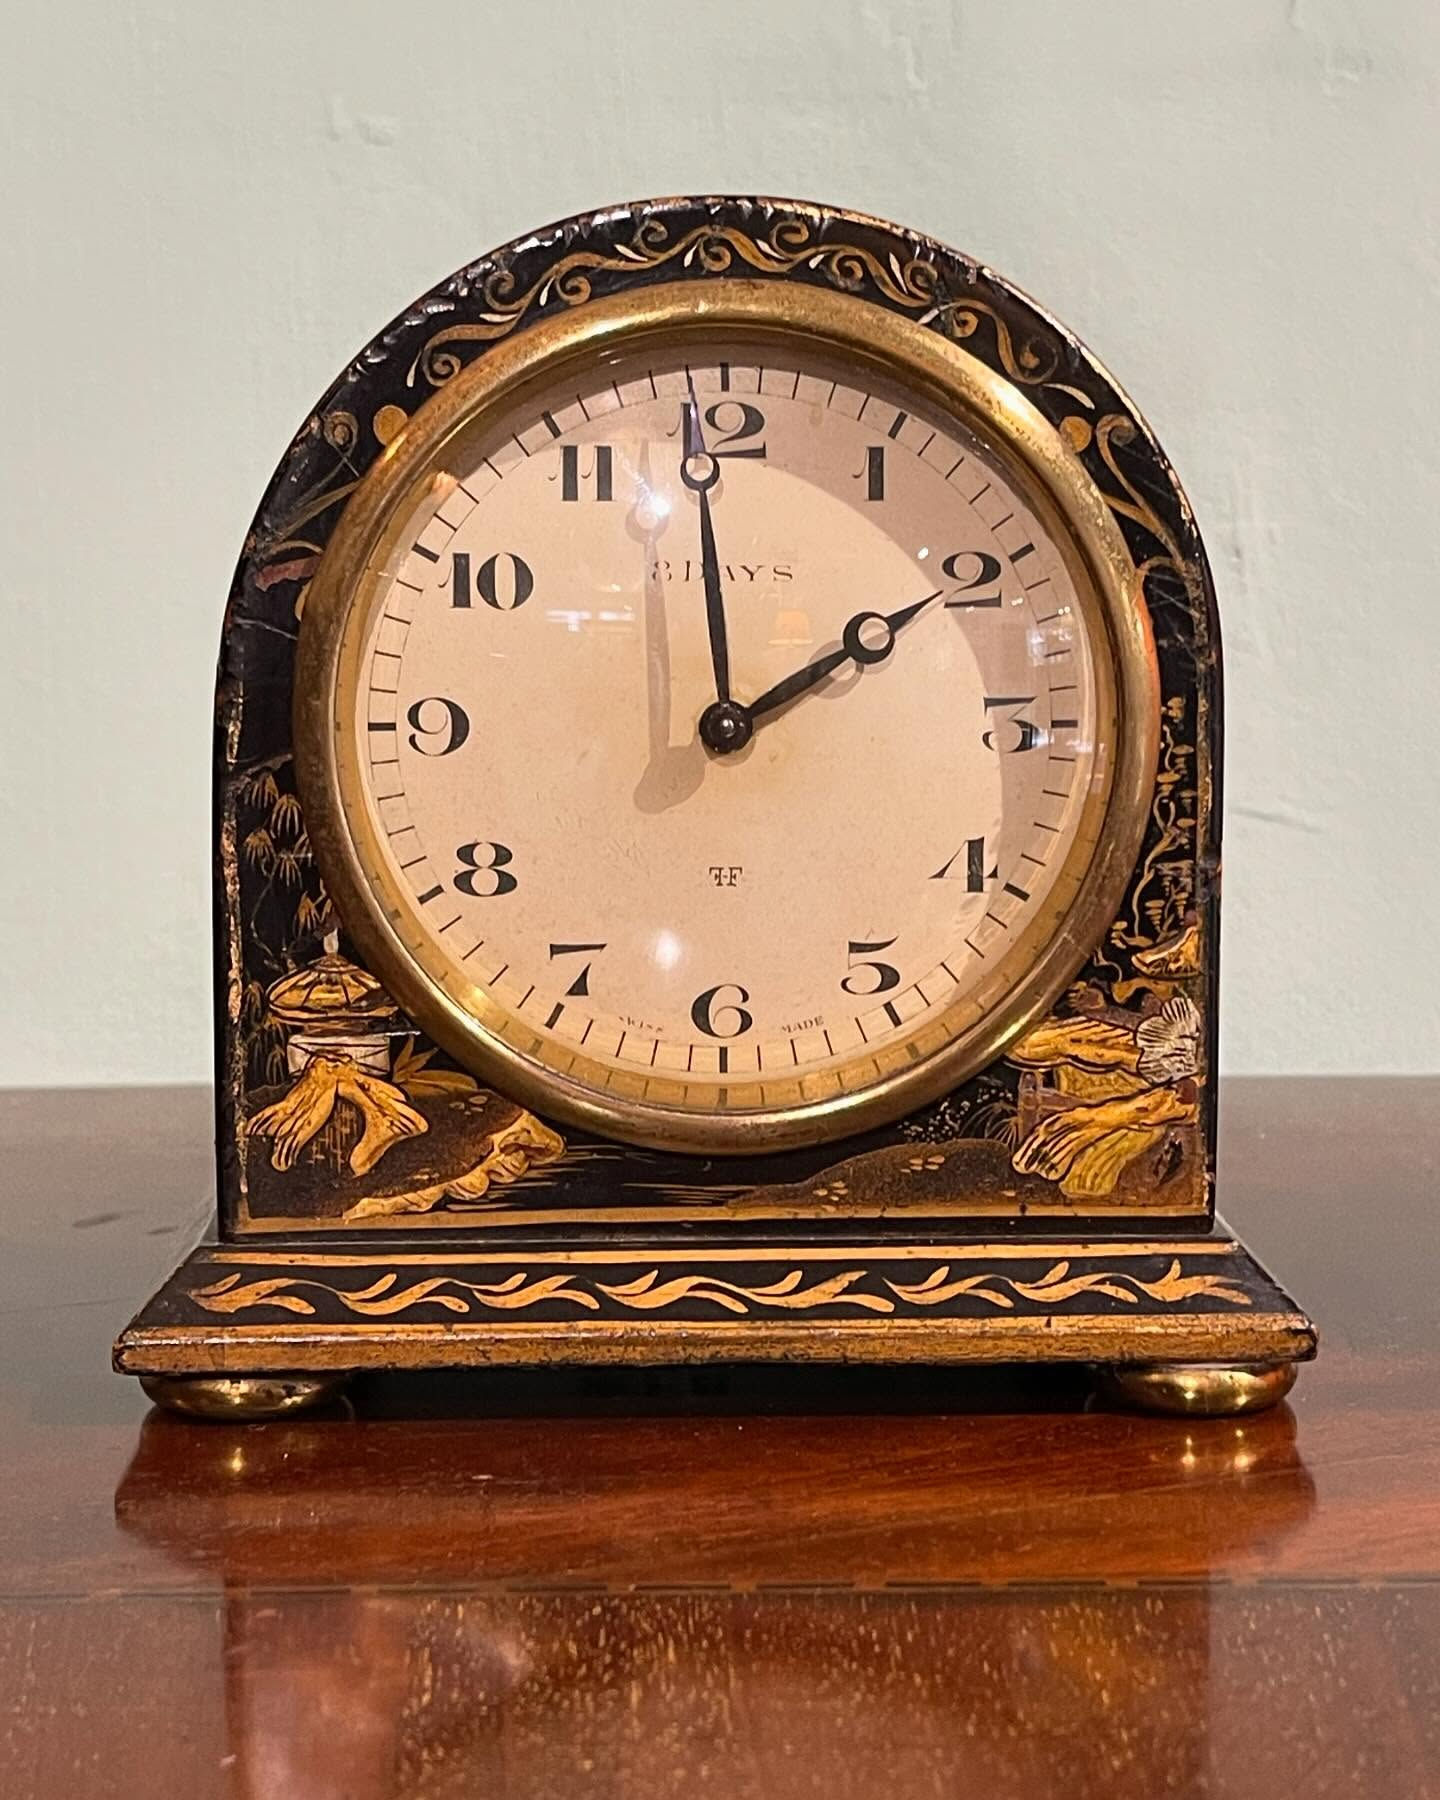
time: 1:59
